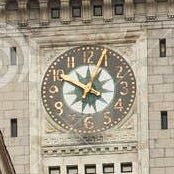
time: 12:49
